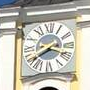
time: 3:40
